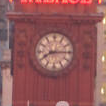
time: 8:14
